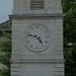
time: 4:47
